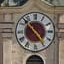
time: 4:53
